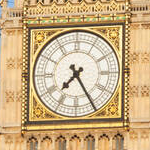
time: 7:25
